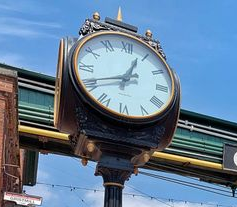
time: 12:41
